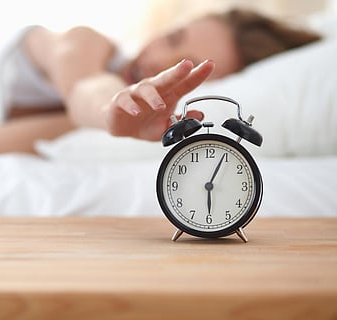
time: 6:04
